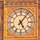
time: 5:06
